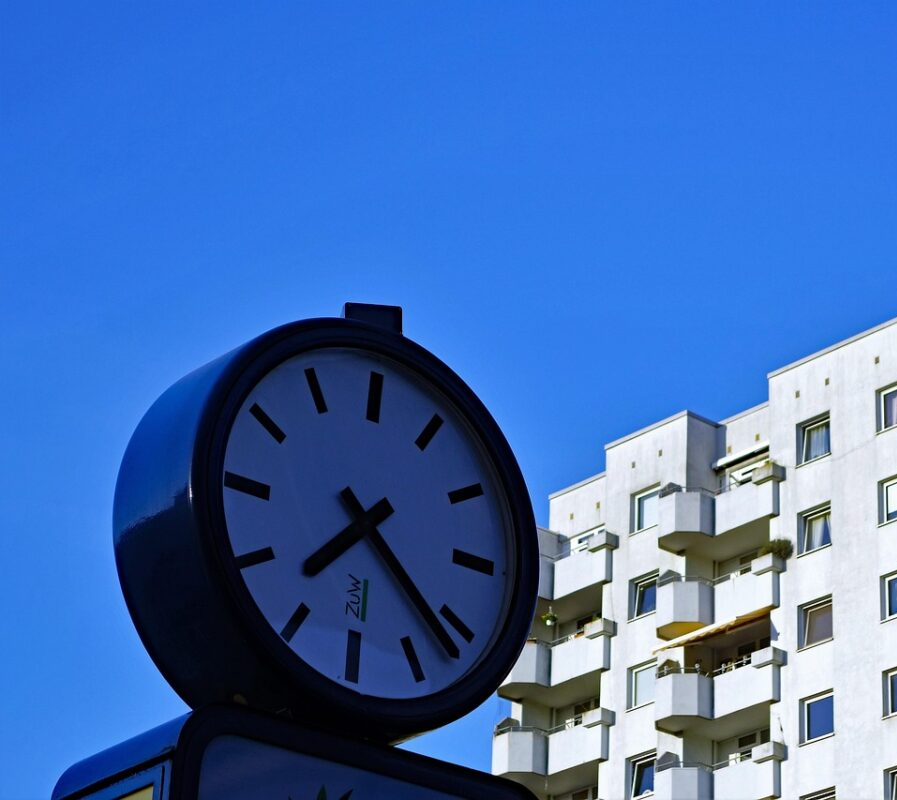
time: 7:21
